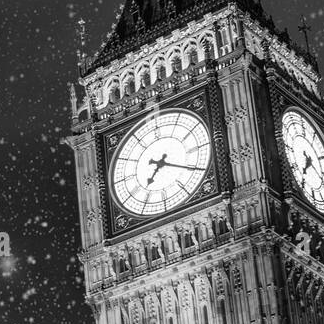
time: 7:19
